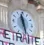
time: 11:28
